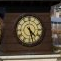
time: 4:27
